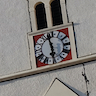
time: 5:58
